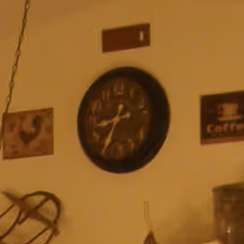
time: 8:34
